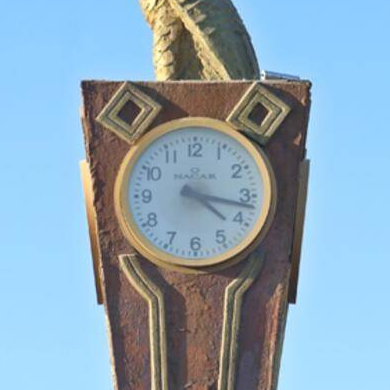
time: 4:17
